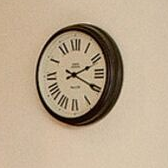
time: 2:19
